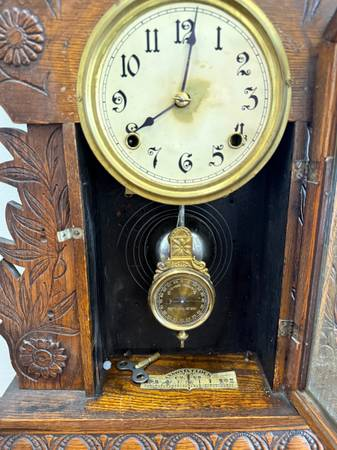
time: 8:01
